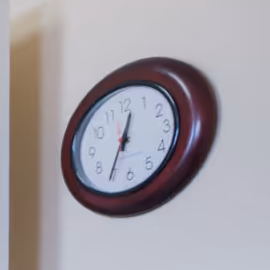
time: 12:34
